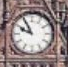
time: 9:55
